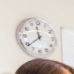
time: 11:38
